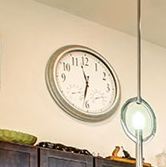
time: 11:32
